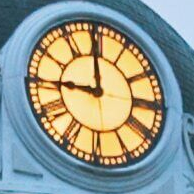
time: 8:59
